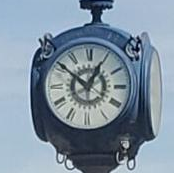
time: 12:51
